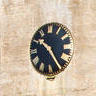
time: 10:24
